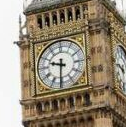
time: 9:31
